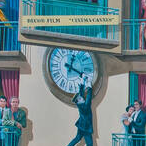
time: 4:02
